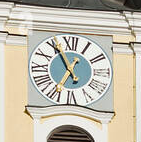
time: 12:55
